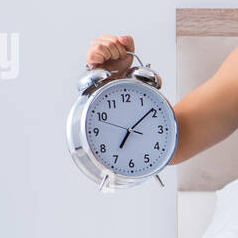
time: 7:08
